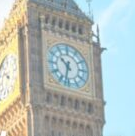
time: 10:32
